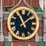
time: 11:08
